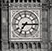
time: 7:15
